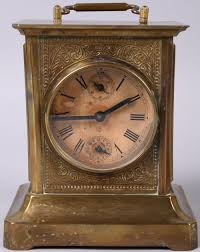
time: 1:44
